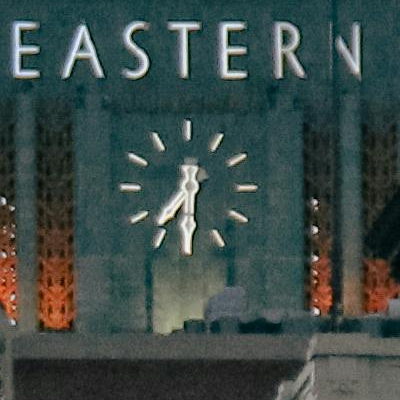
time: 7:30
